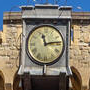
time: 11:13
